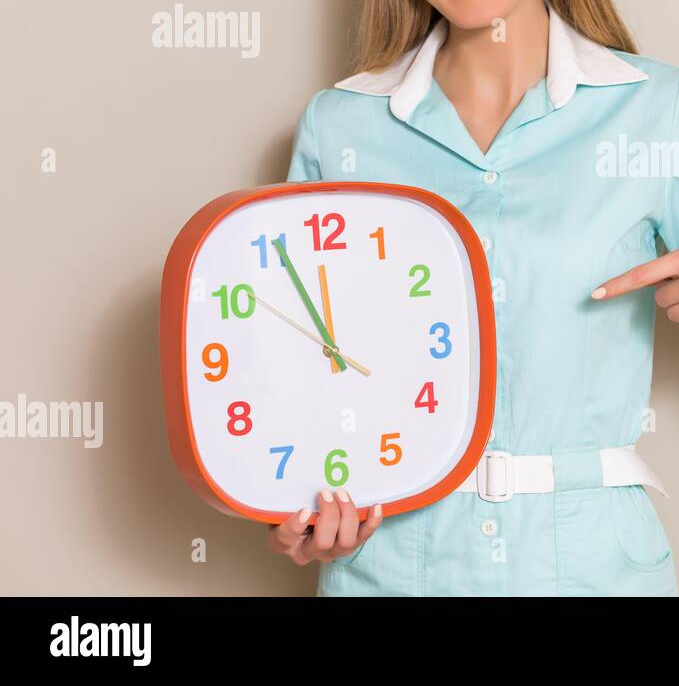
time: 11:55
